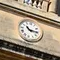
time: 10:15
